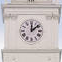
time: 12:08
